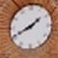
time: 1:40
